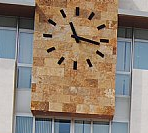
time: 11:16
